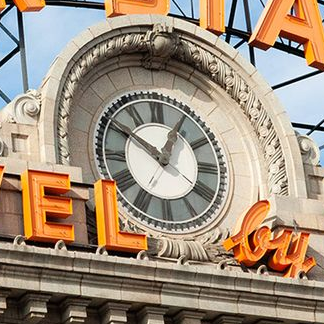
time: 12:50
